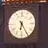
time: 6:24
